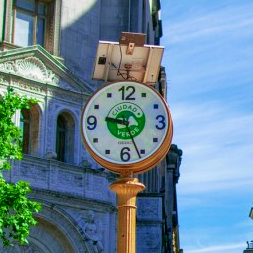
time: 9:26
